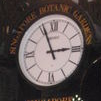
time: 2:56
